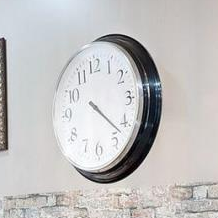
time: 4:22
